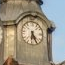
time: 6:25
